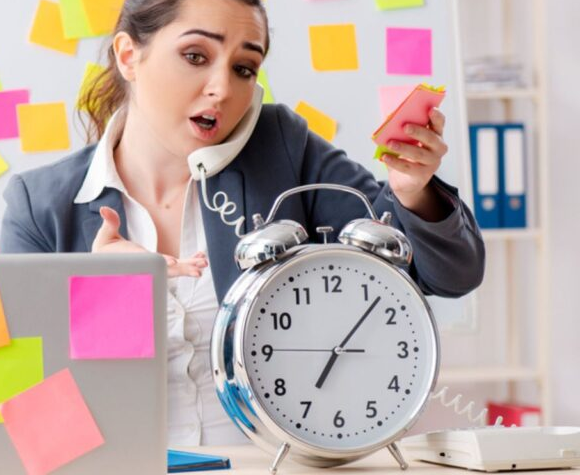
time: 7:07
